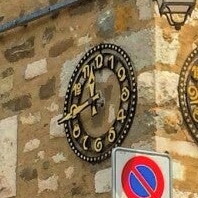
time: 11:43
